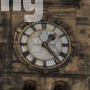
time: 1:23
